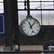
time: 11:07
